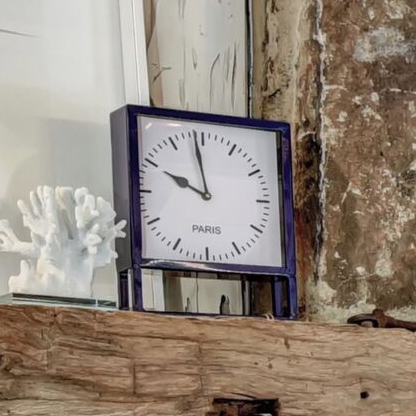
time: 9:58
